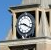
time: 9:20
